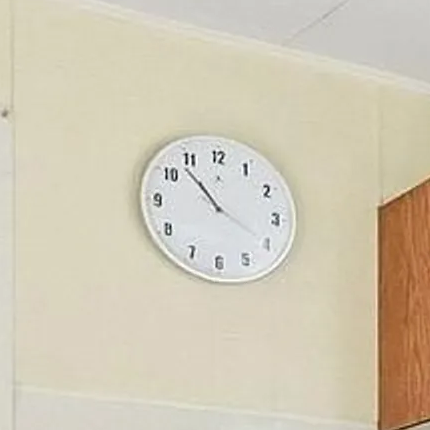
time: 10:53
